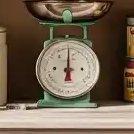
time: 12:00
